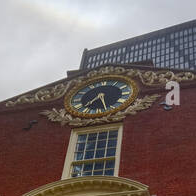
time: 7:27
